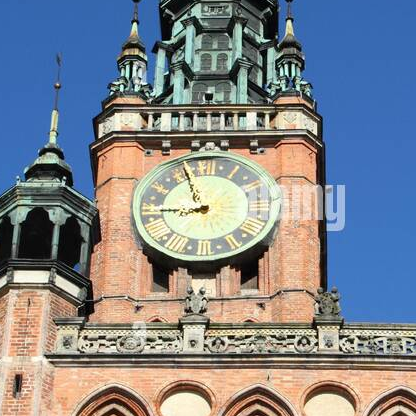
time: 8:56
